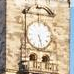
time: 5:26
